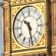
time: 10:28
